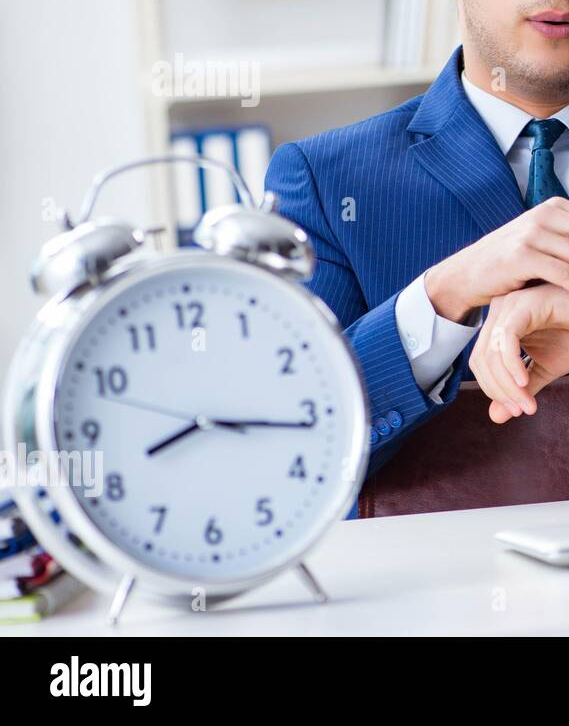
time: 8:16
